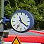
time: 11:21
